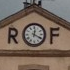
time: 12:19
